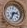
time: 2:34
